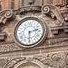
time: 2:29
